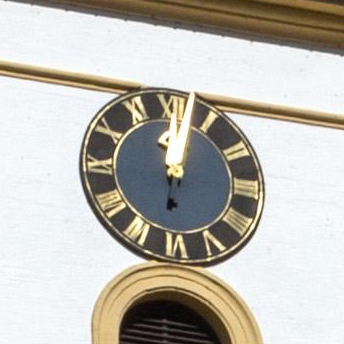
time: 12:02
